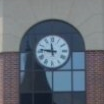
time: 11:46
